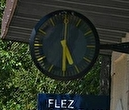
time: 5:30
